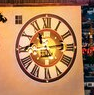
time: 11:13
